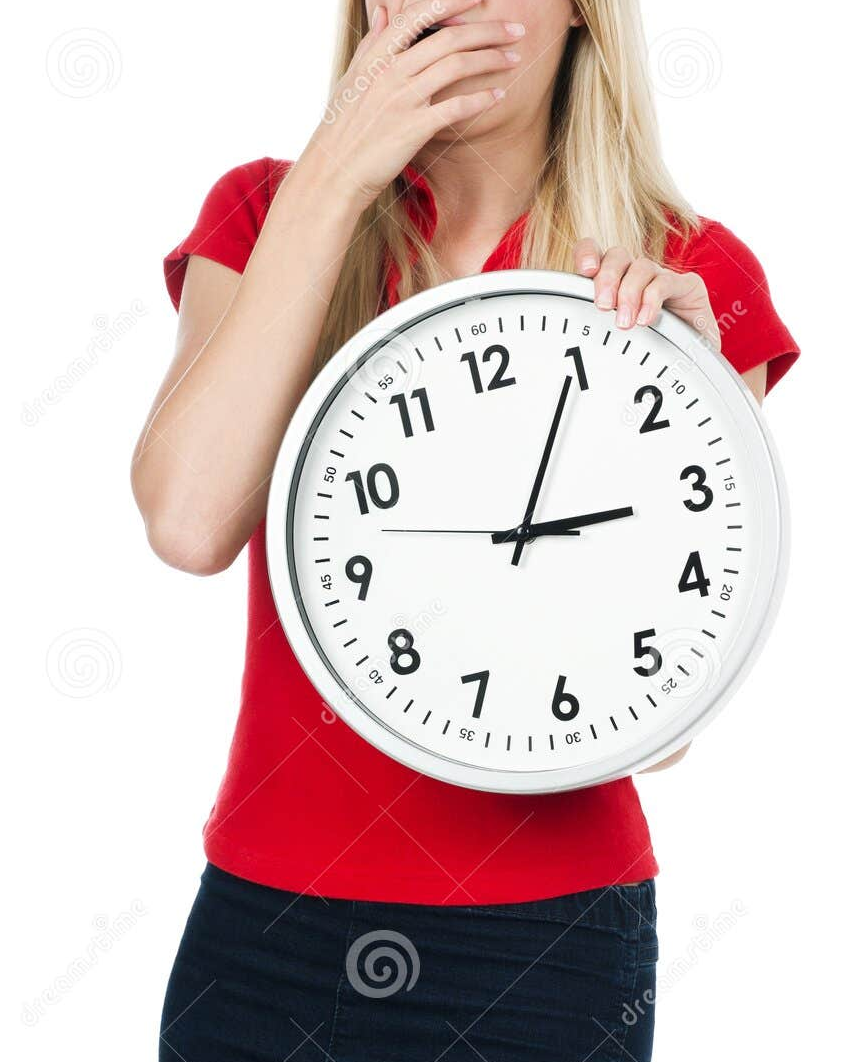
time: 3:05
